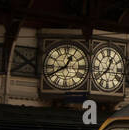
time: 12:40
